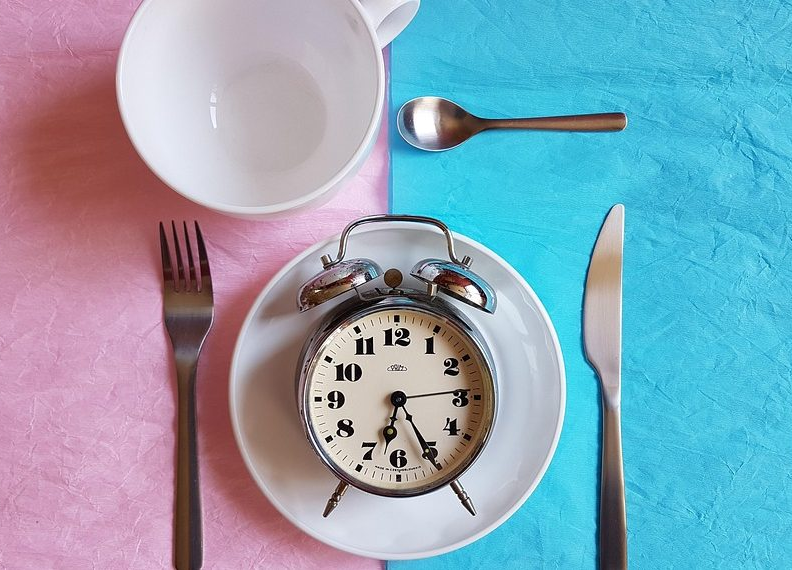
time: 6:25
